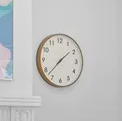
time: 1:37
